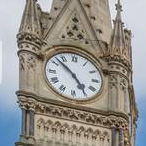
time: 4:52
